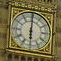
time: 6:00
